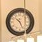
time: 10:25
